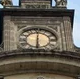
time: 6:00
